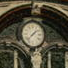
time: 1:37
